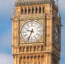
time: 9:34
